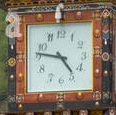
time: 4:46
